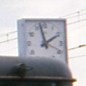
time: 1:57
